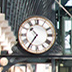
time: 10:35
